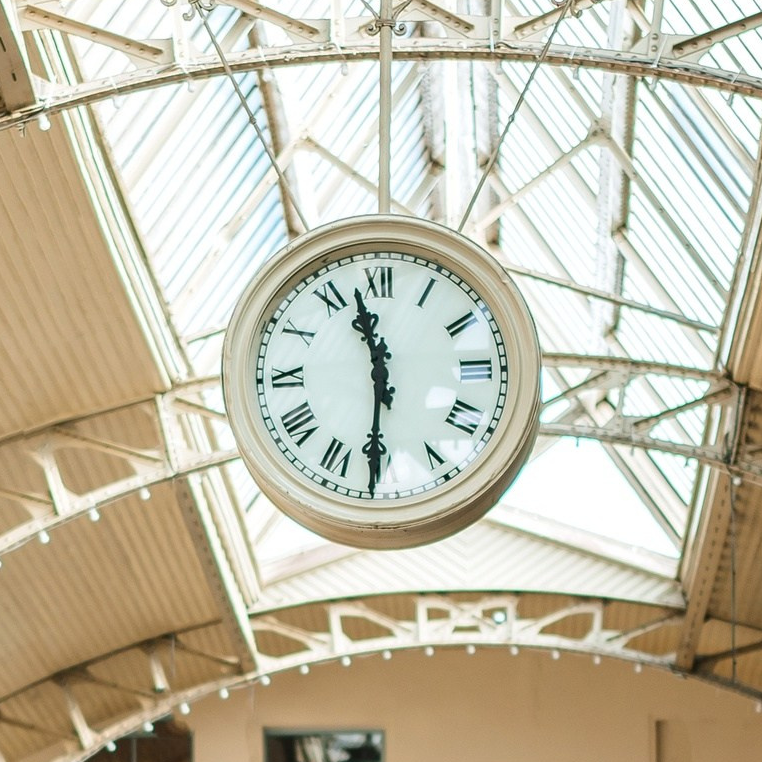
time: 11:30
